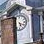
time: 5:18
